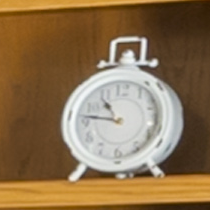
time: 10:46
